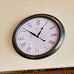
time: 12:51
